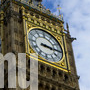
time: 3:15
